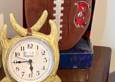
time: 5:44
